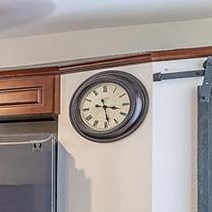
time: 3:28
